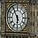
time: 5:54
